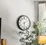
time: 6:10
